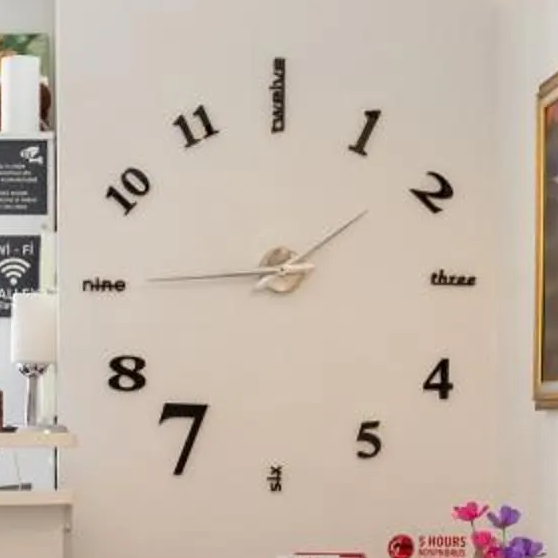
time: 1:44
